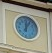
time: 12:05
